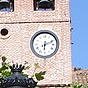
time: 6:11
